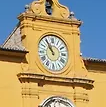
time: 10:55
